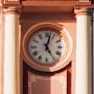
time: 5:02
